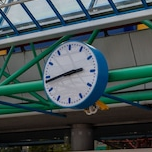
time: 2:43
